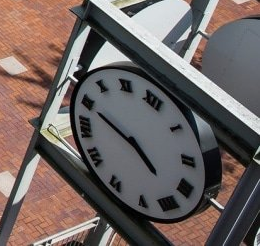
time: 4:49
